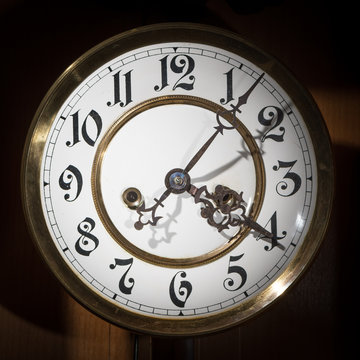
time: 4:07
